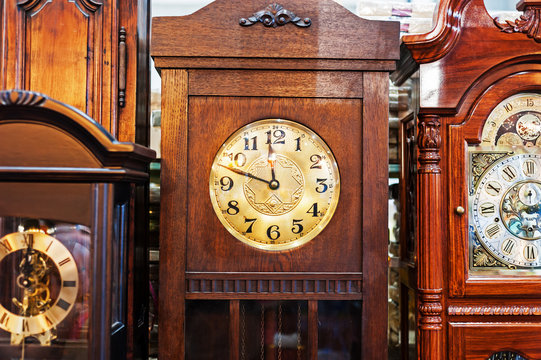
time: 11:47
